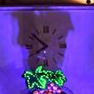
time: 7:51
